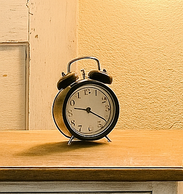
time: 9:20
